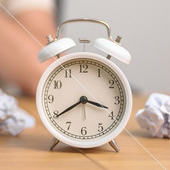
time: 3:39
